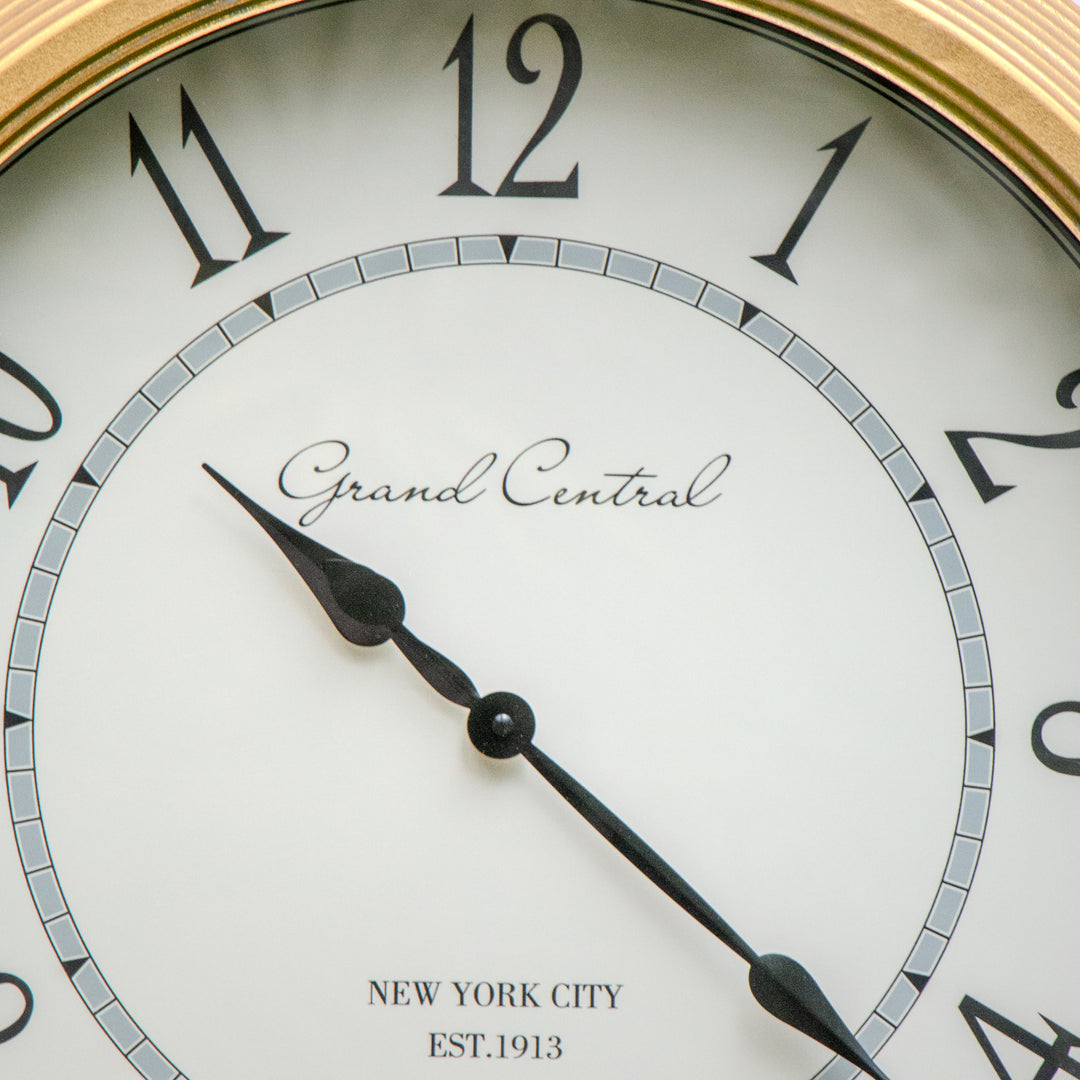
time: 10:22
